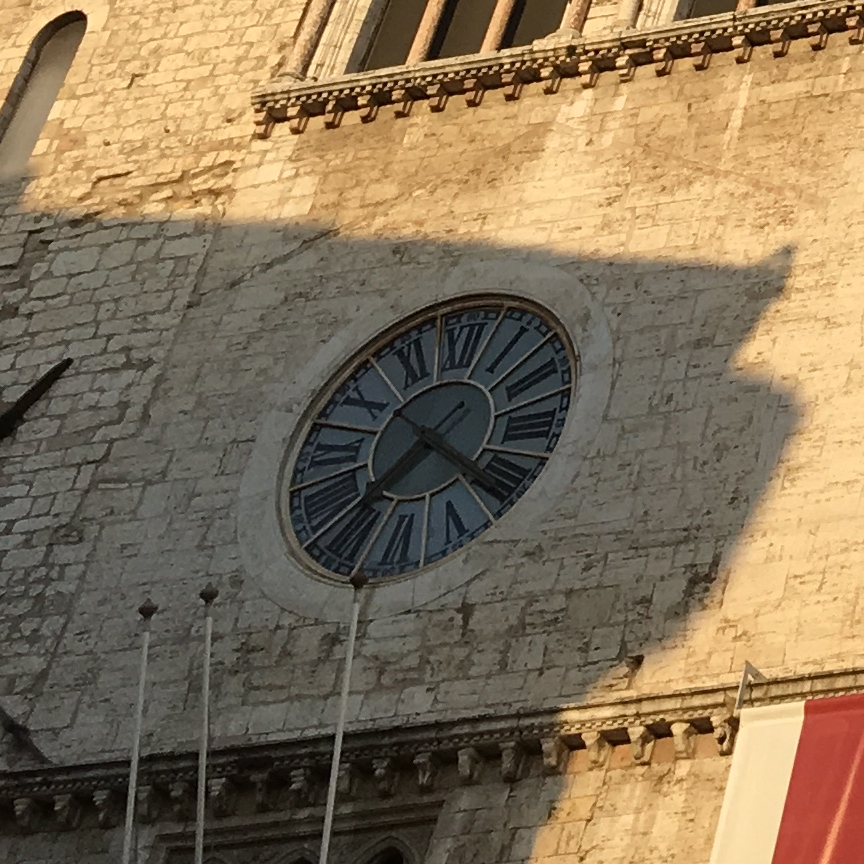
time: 7:20
